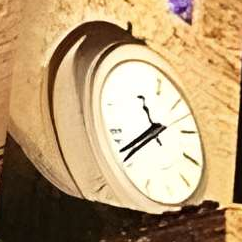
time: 11:41
